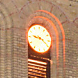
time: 9:20
